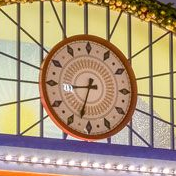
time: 8:33
